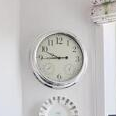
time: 9:44
